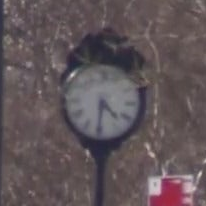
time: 4:31
